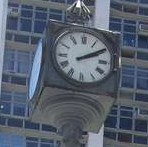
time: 2:09
